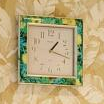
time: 1:18
